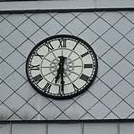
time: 6:29
